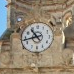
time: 10:43
